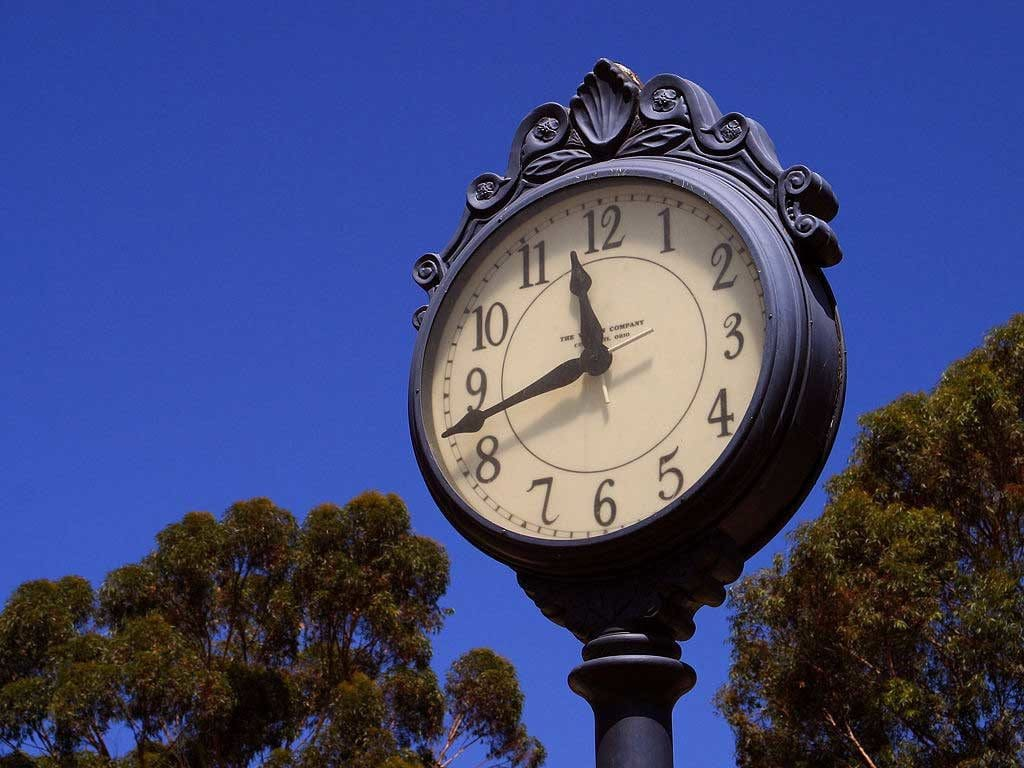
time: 11:42
